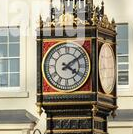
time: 4:09
